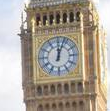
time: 12:03
